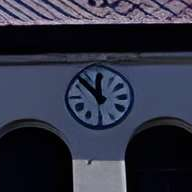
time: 11:52
